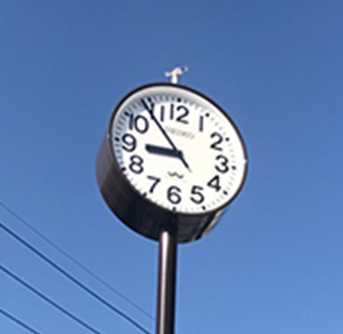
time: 8:53
